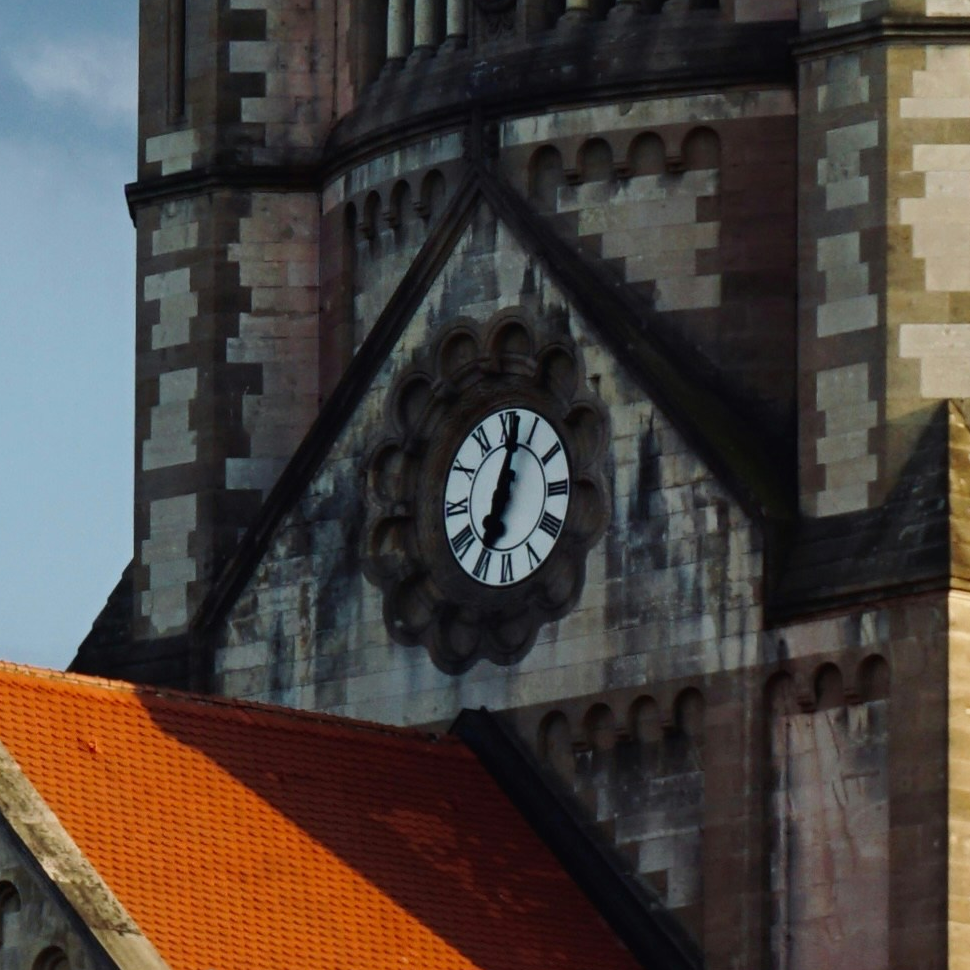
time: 12:34
